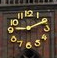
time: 9:10
